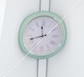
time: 11:42
